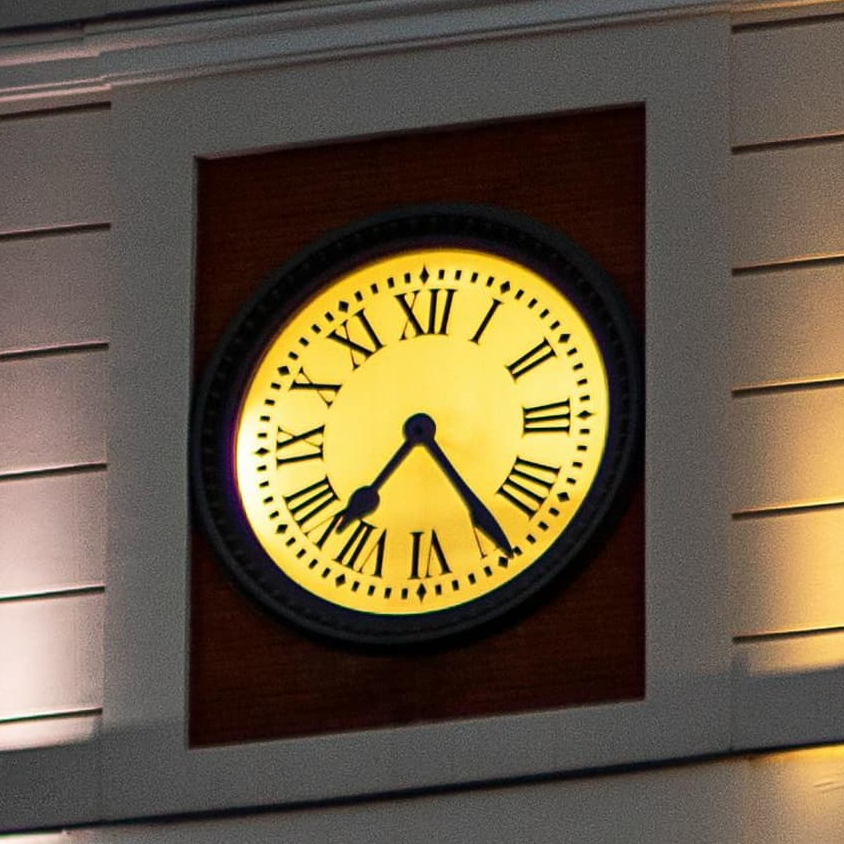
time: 7:24
